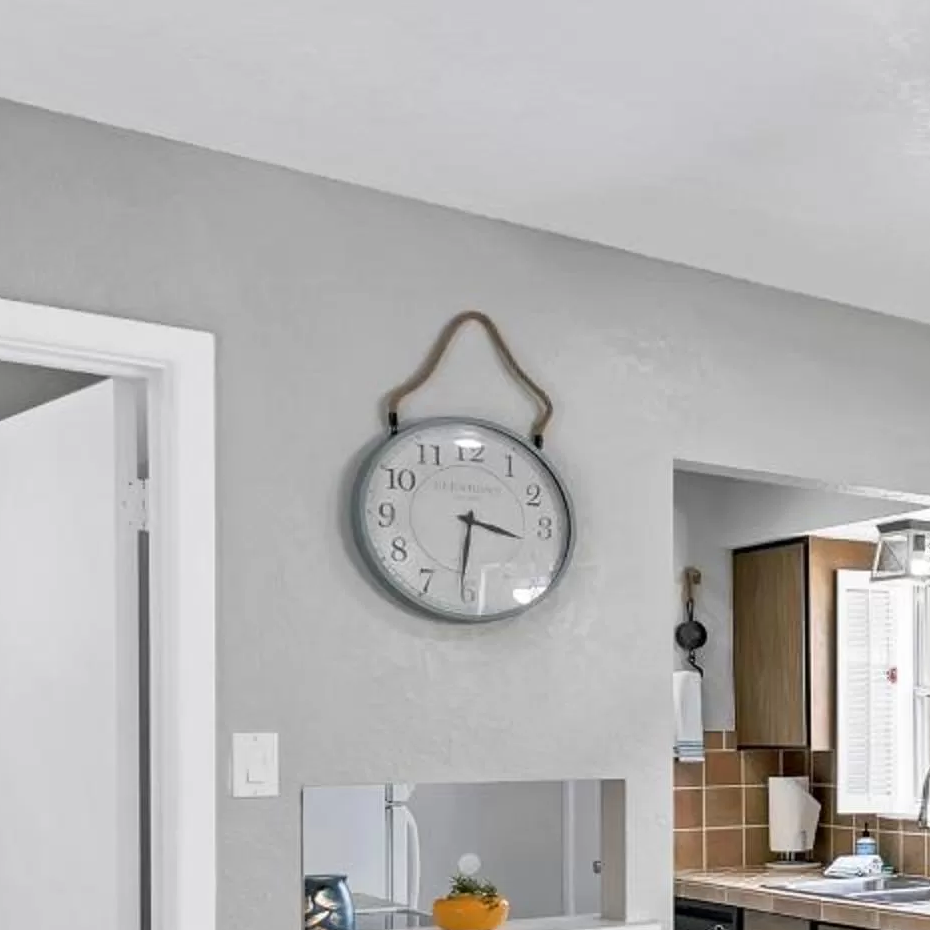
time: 3:31
